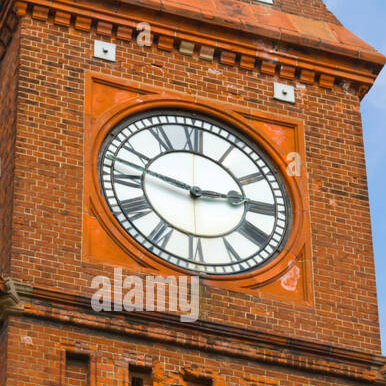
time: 2:46
